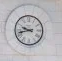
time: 9:42
